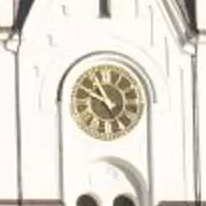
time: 10:48
